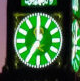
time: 11:35
